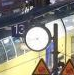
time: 4:42
